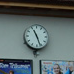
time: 11:26
